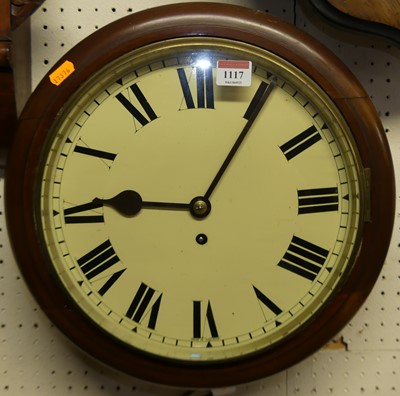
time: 9:05
